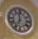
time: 6:58
